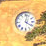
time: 4:02
